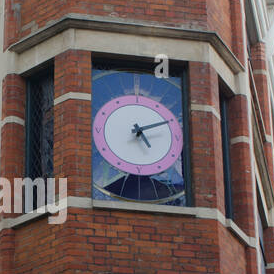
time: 5:11
